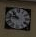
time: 10:47
